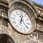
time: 12:23
